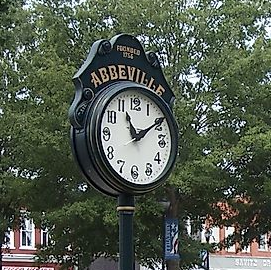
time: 11:09
